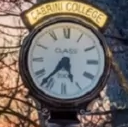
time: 5:36
